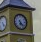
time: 6:22
